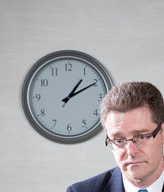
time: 1:10
